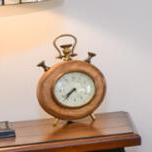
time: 7:36
